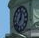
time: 12:37
